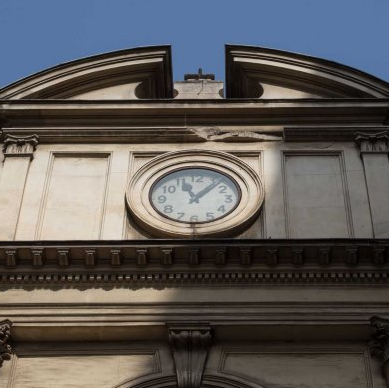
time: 11:07
